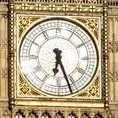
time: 6:26
